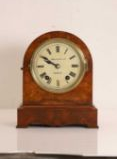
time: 9:50
